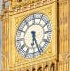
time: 6:26
